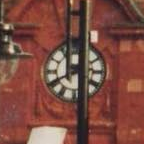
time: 11:40
